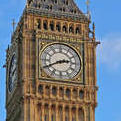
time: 2:40
